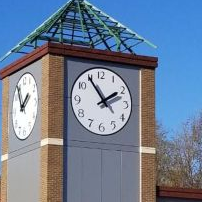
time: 1:54
